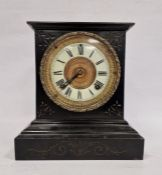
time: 7:37
